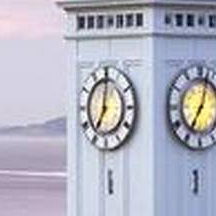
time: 7:00
